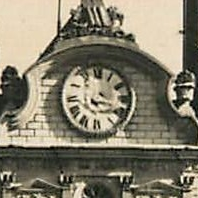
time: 5:18
